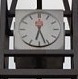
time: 6:26
